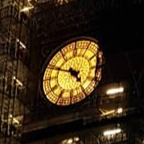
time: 4:48
